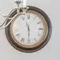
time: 11:29
